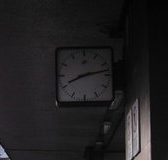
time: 8:12
